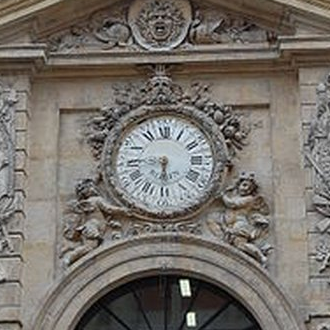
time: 5:45
